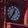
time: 12:35
